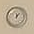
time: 12:07
